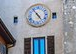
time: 4:54
